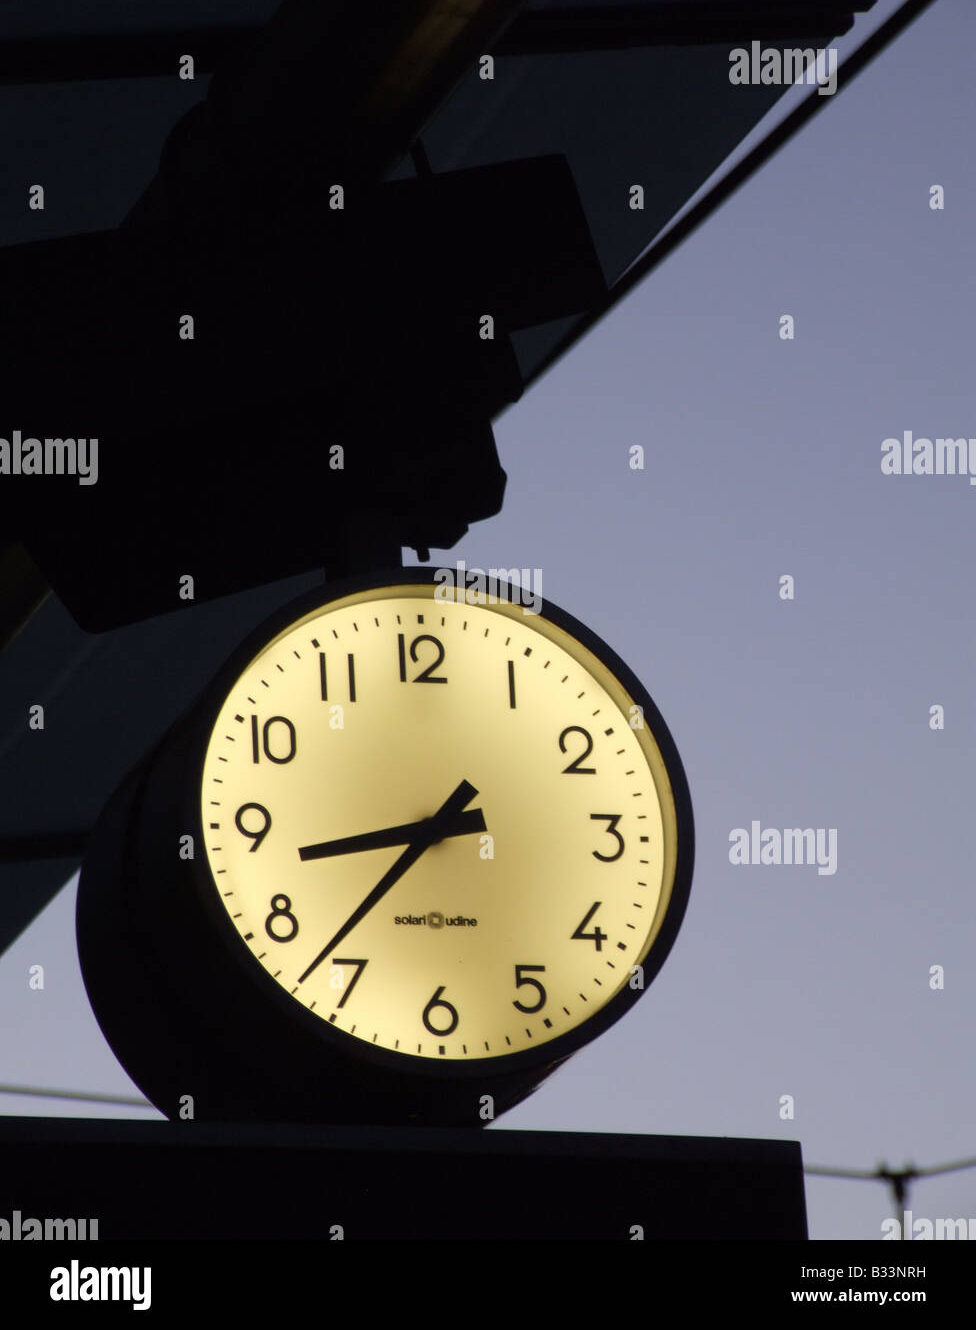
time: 8:37
